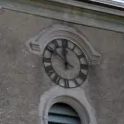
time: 11:50
